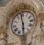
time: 5:58
